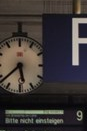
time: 5:38
